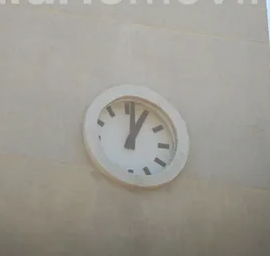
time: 1:01
